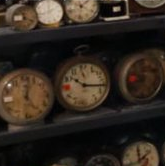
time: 10:16
